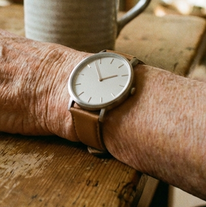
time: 2:58
